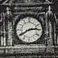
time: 2:40
